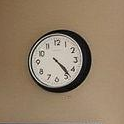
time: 4:23
